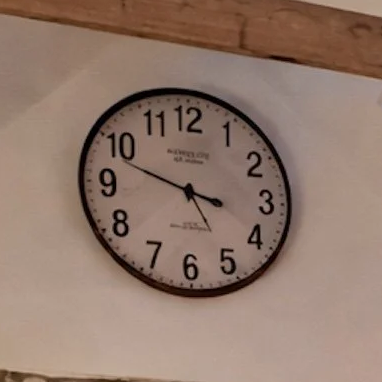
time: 3:48
